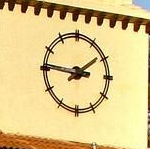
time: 1:46
